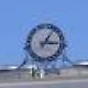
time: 3:04
